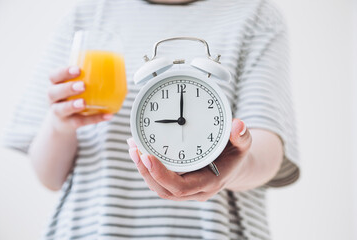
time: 9:00
